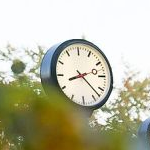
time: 8:22
